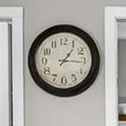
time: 1:15
